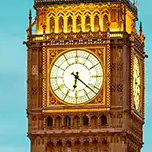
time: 6:21
